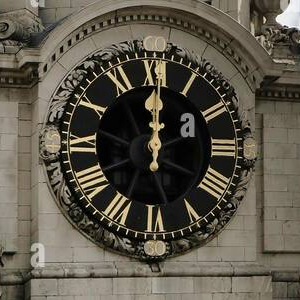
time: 12:00
